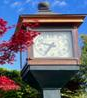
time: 9:35
